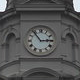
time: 2:53
